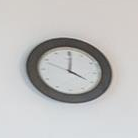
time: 4:00
